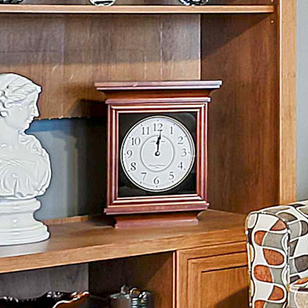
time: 12:01
